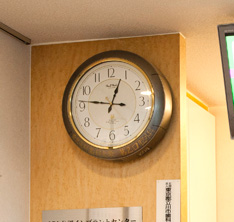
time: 12:46
